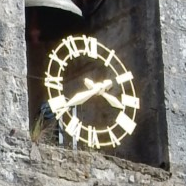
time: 3:40
